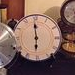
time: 5:59
